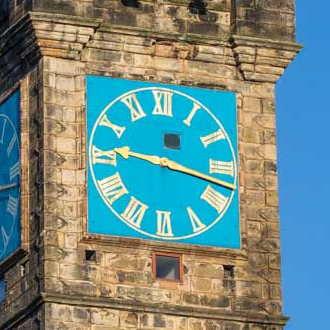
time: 9:17
